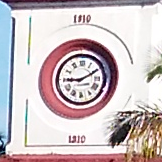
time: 9:10
